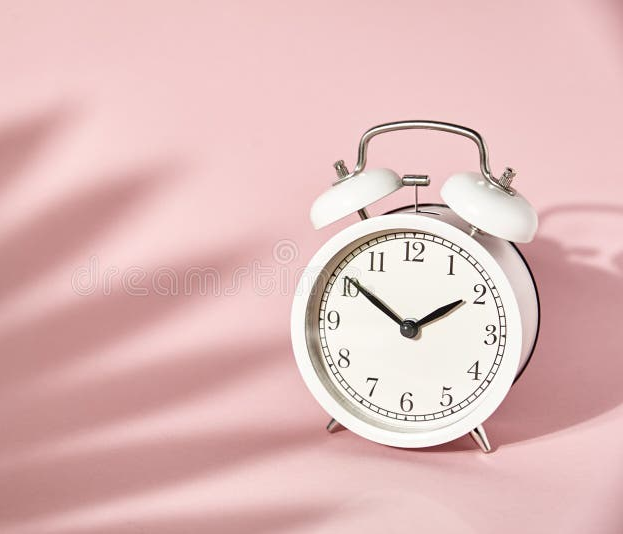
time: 1:50
